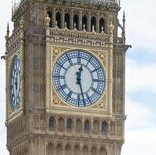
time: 12:27
